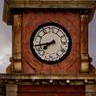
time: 7:43
